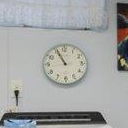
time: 10:55
